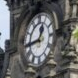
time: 12:43
